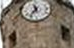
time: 11:36
